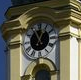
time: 12:55
